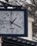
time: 1:20
